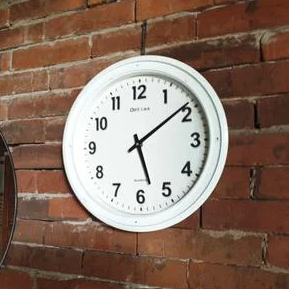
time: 5:08
